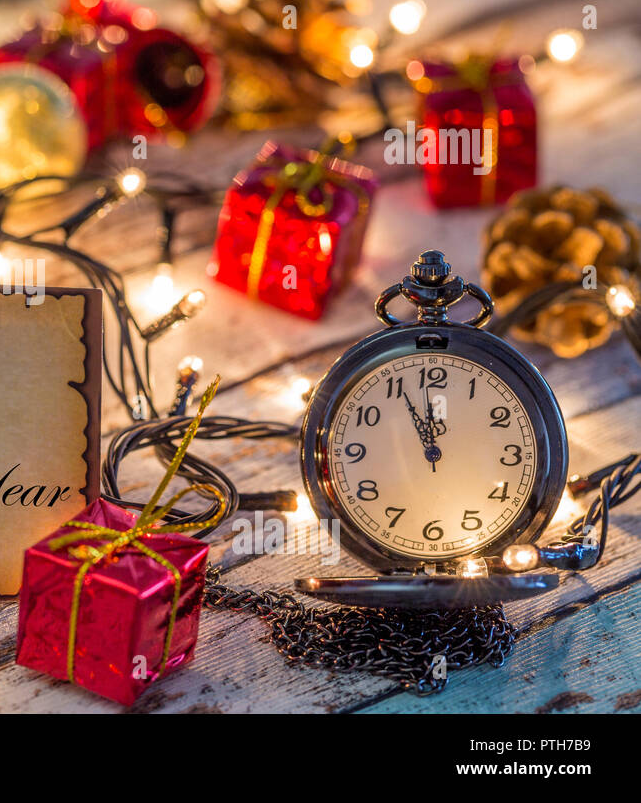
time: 11:55
